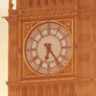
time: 6:23
